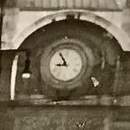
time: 8:54
